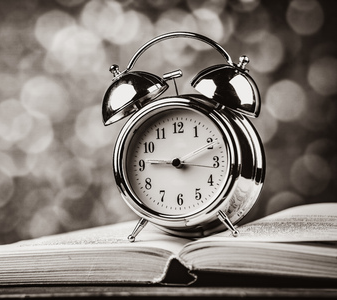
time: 9:12
